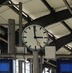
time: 2:59
